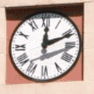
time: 12:11
